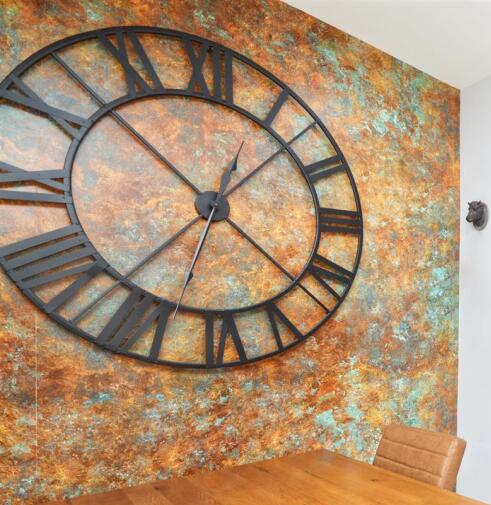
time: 12:52
